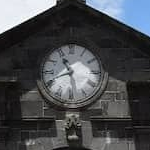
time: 10:41
